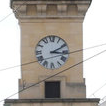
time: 3:10
